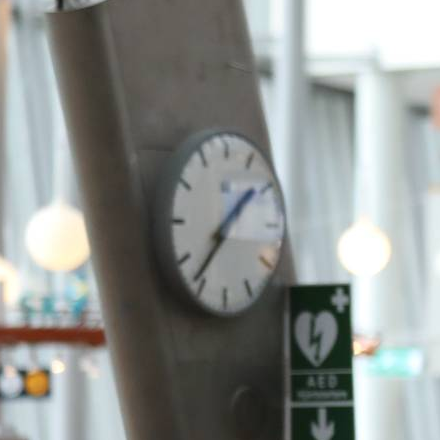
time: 1:36
